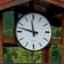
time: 11:47
